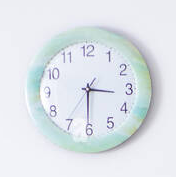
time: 3:30
